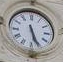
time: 5:26
